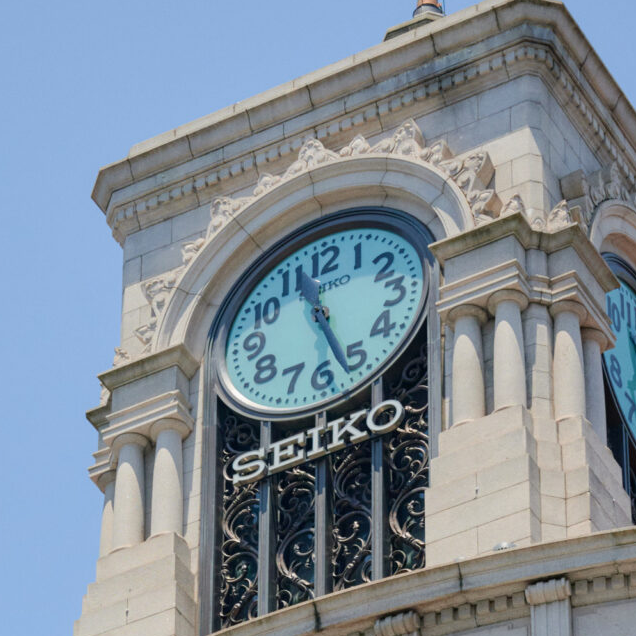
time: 11:26
